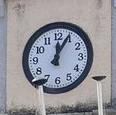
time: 12:04
